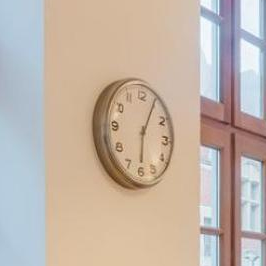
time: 6:04
